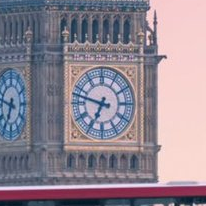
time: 6:47
